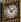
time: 1:56
